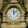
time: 12:07
